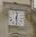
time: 12:28
